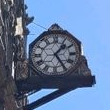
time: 1:24
